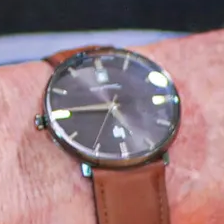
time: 5:45
